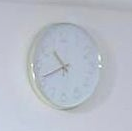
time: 10:41
